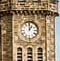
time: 1:00
